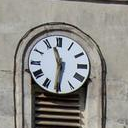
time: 11:31
